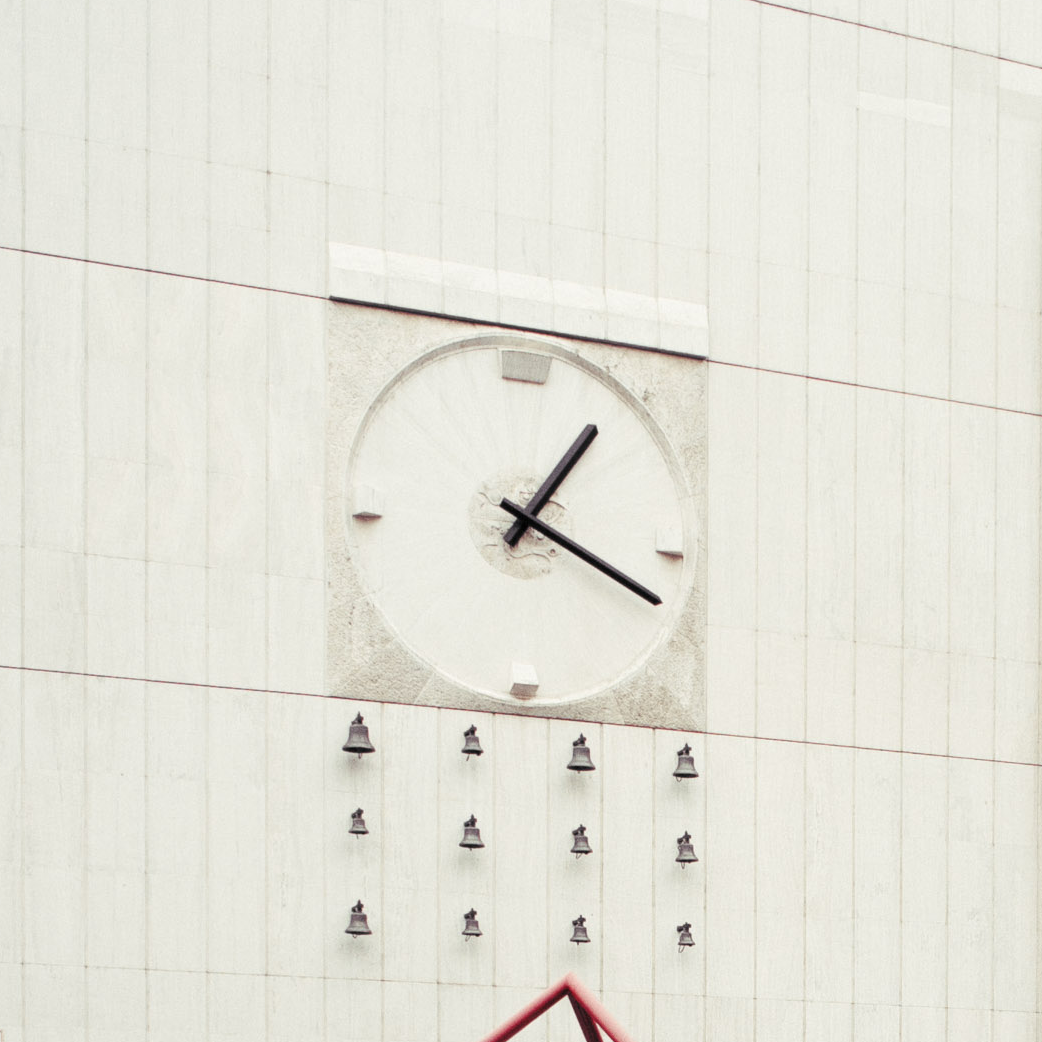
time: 1:18
